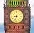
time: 8:33
